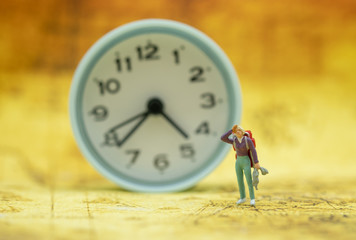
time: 4:38
